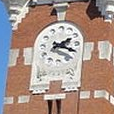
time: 2:18
